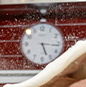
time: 5:16
